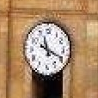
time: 11:19
